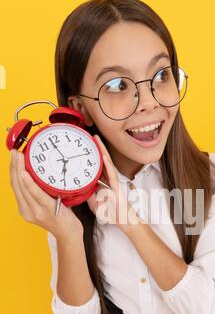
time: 6:58
